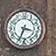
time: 3:34
